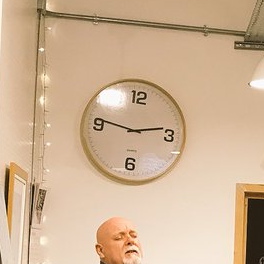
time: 2:46
